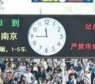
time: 11:44
